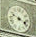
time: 3:48
